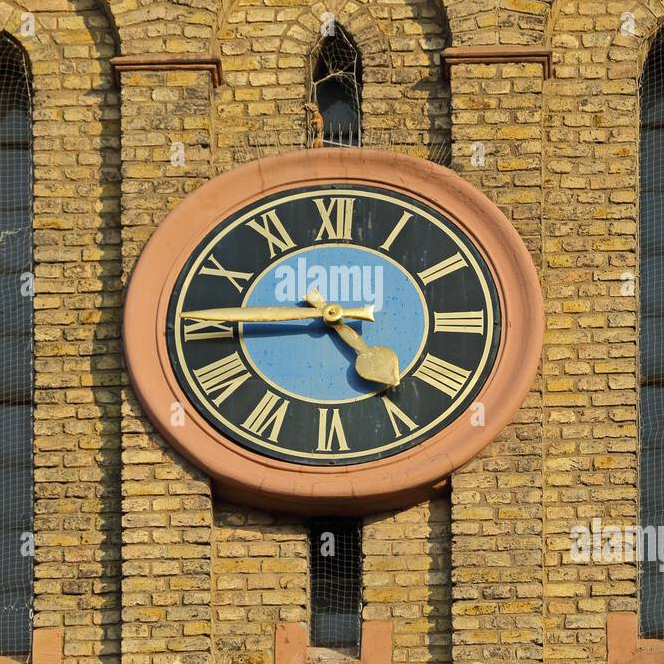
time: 4:44
